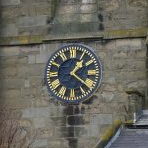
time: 1:21
